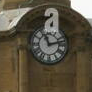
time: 11:12
